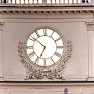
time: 6:51
